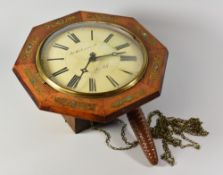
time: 2:33
